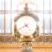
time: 4:40
